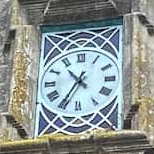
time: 10:35
